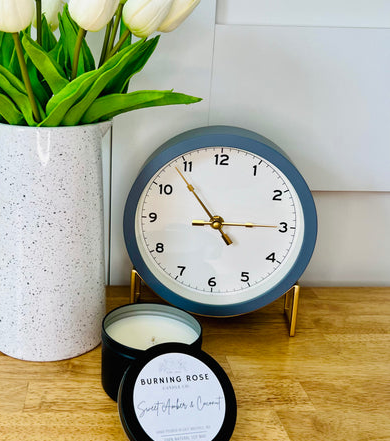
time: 2:53
